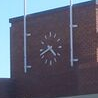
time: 4:40
